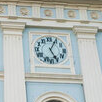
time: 5:04
